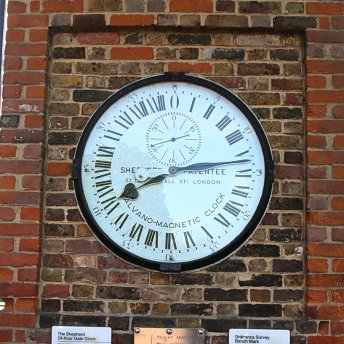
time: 8:13
